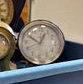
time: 12:49
